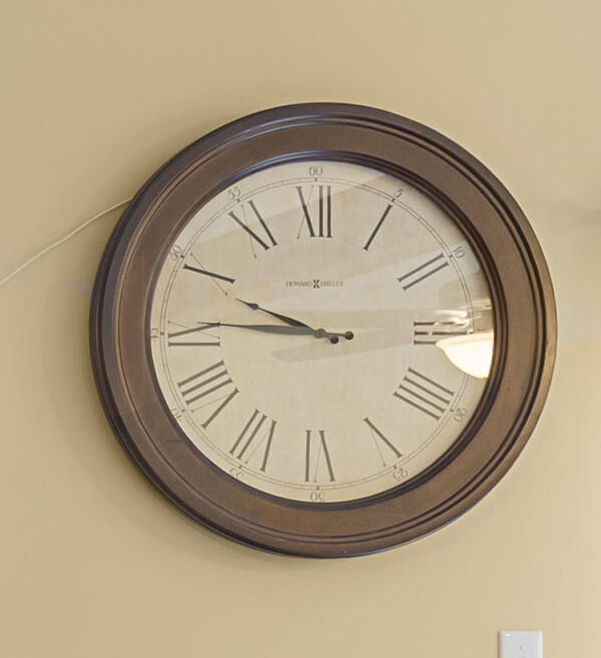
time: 9:45
